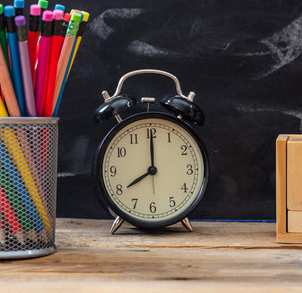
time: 8:00
